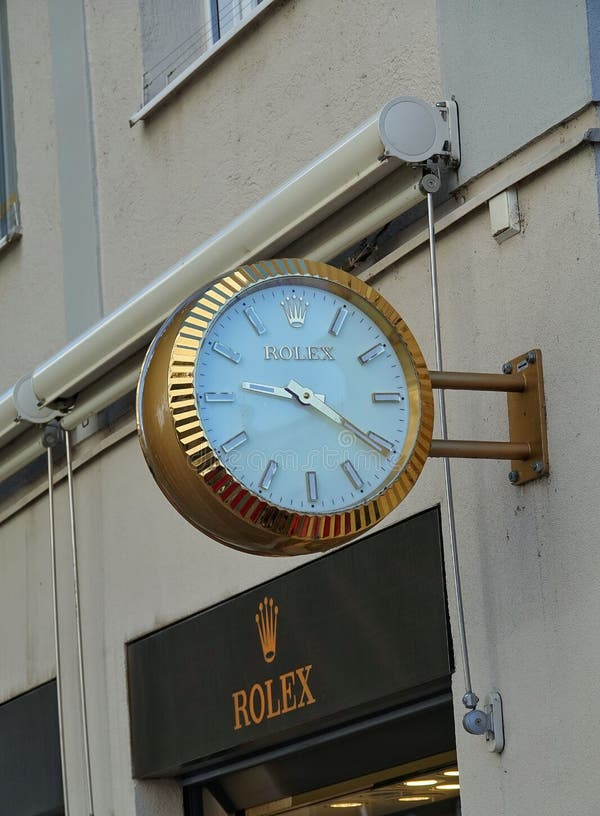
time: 9:20
